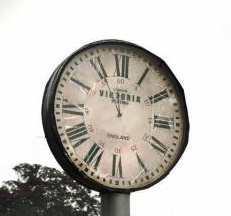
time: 12:55
